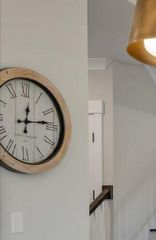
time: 12:13
